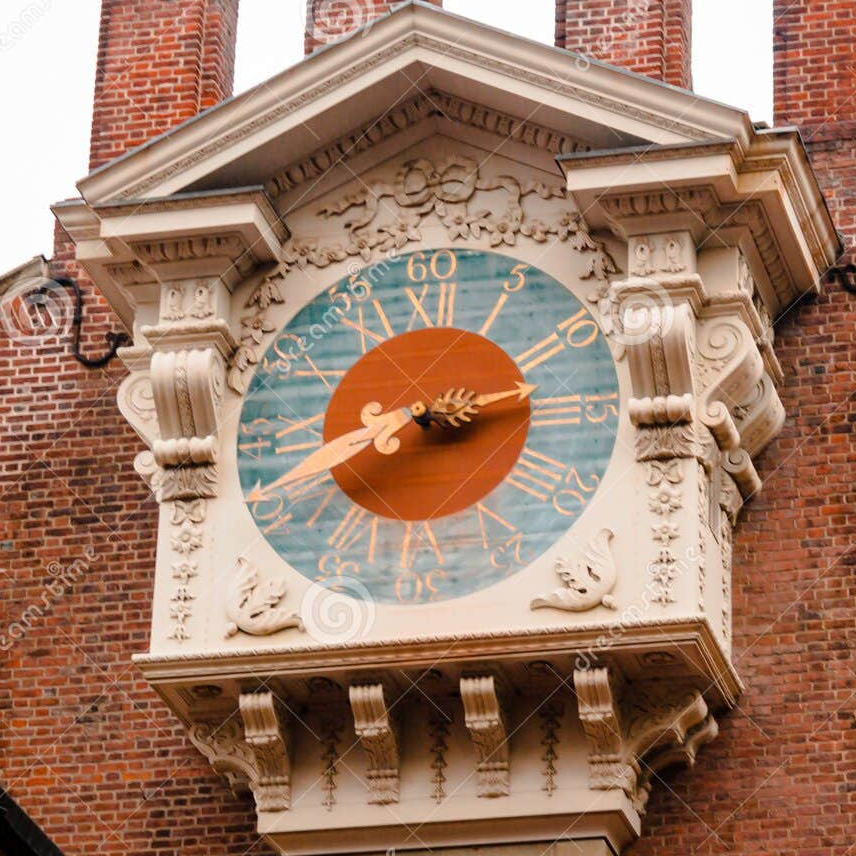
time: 8:12
